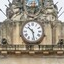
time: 10:28
